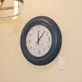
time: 12:07
